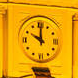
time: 10:00
